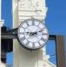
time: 9:11
